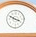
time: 3:49
